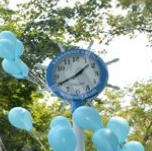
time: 1:40
